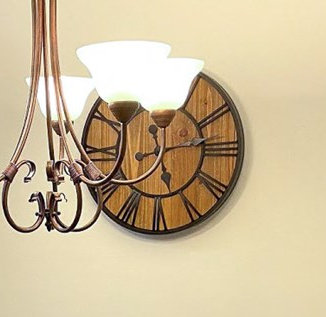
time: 5:13
